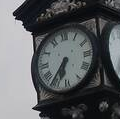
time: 6:36
